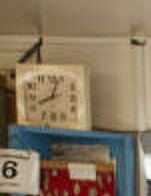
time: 8:03
